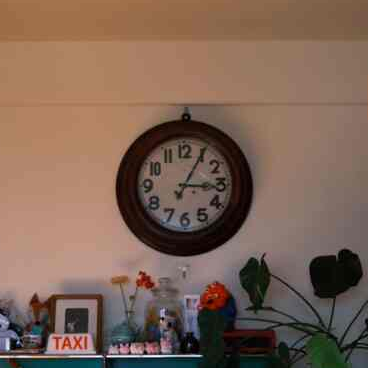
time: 3:04
